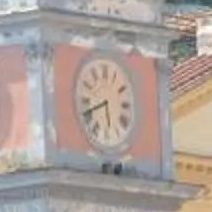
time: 5:41
